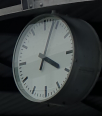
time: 4:03
